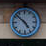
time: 4:52
